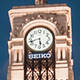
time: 5:42
